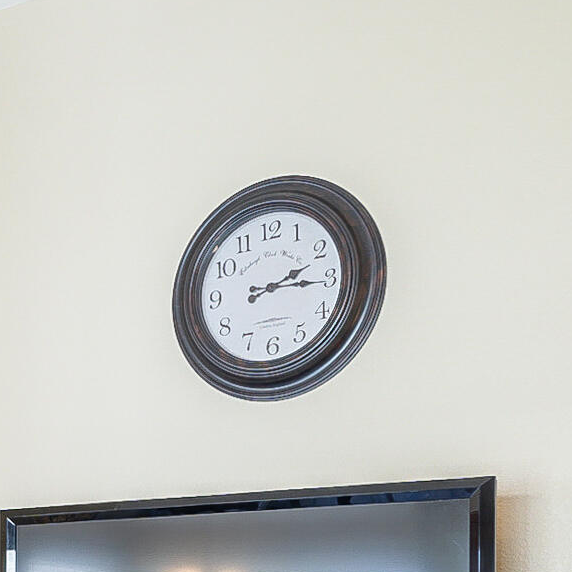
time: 2:15
